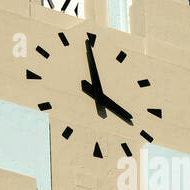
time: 3:58
